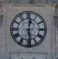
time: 12:28
